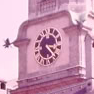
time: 3:21
